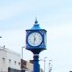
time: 11:32
